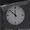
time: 11:52
